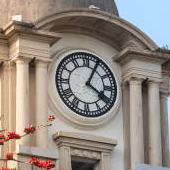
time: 4:04
